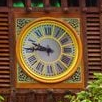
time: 9:45
